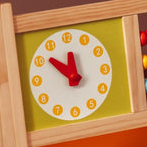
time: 11:51
